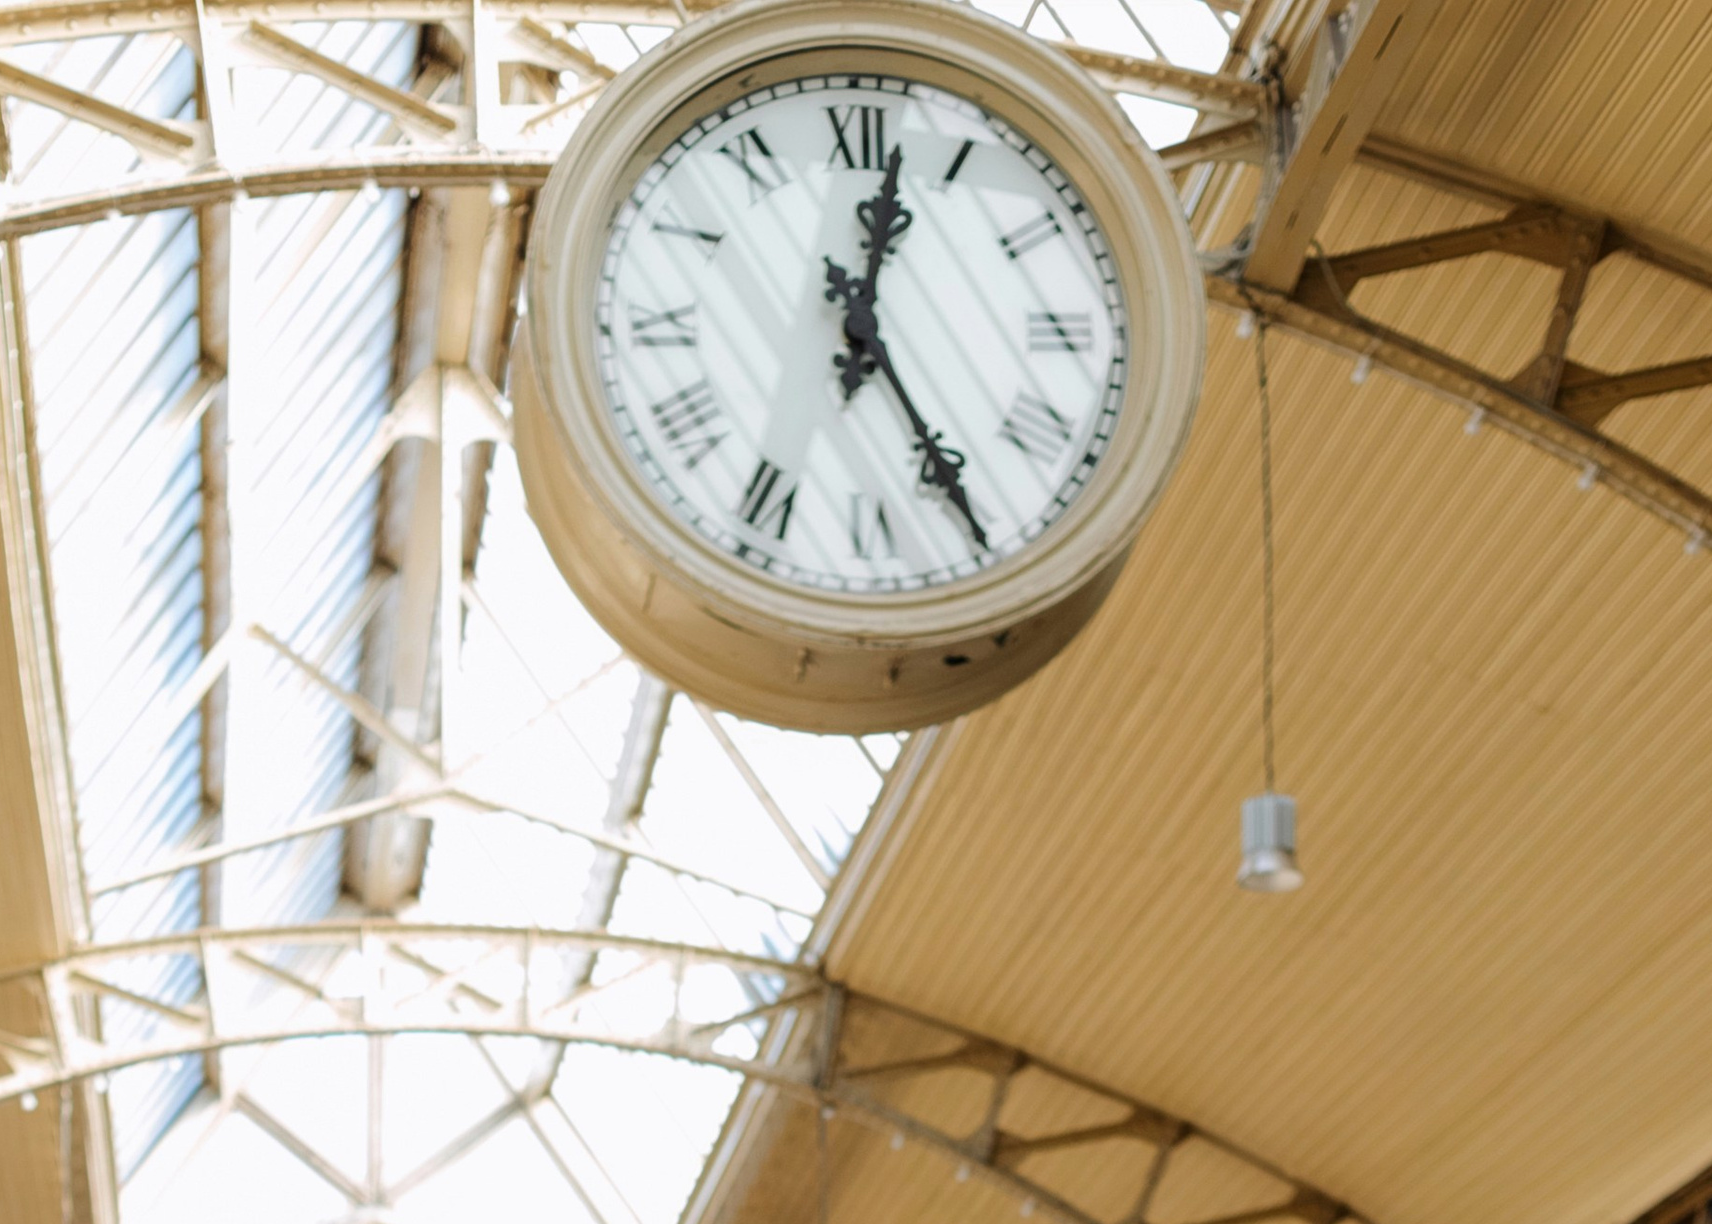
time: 12:25
